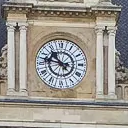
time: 10:47
